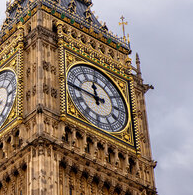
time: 11:45
